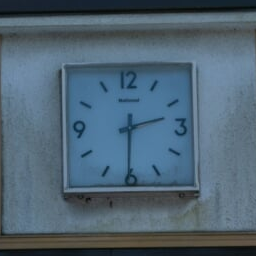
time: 2:30
